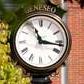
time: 11:16
